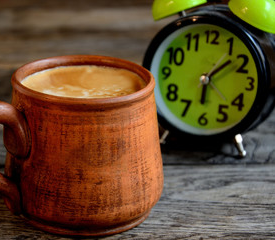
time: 6:08
